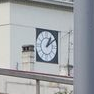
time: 1:09
